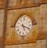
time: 5:18
